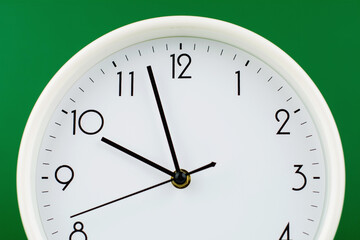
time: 9:57
